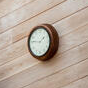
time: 1:46
